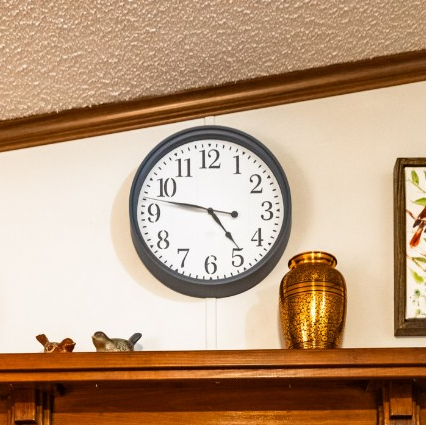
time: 4:47
